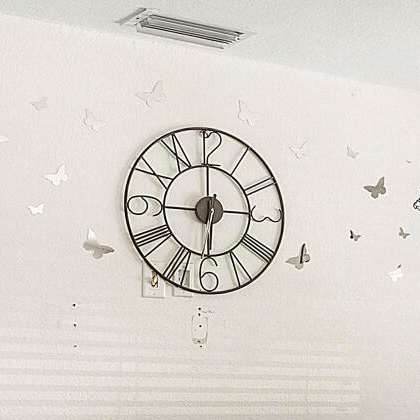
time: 5:59
